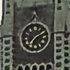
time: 7:09
